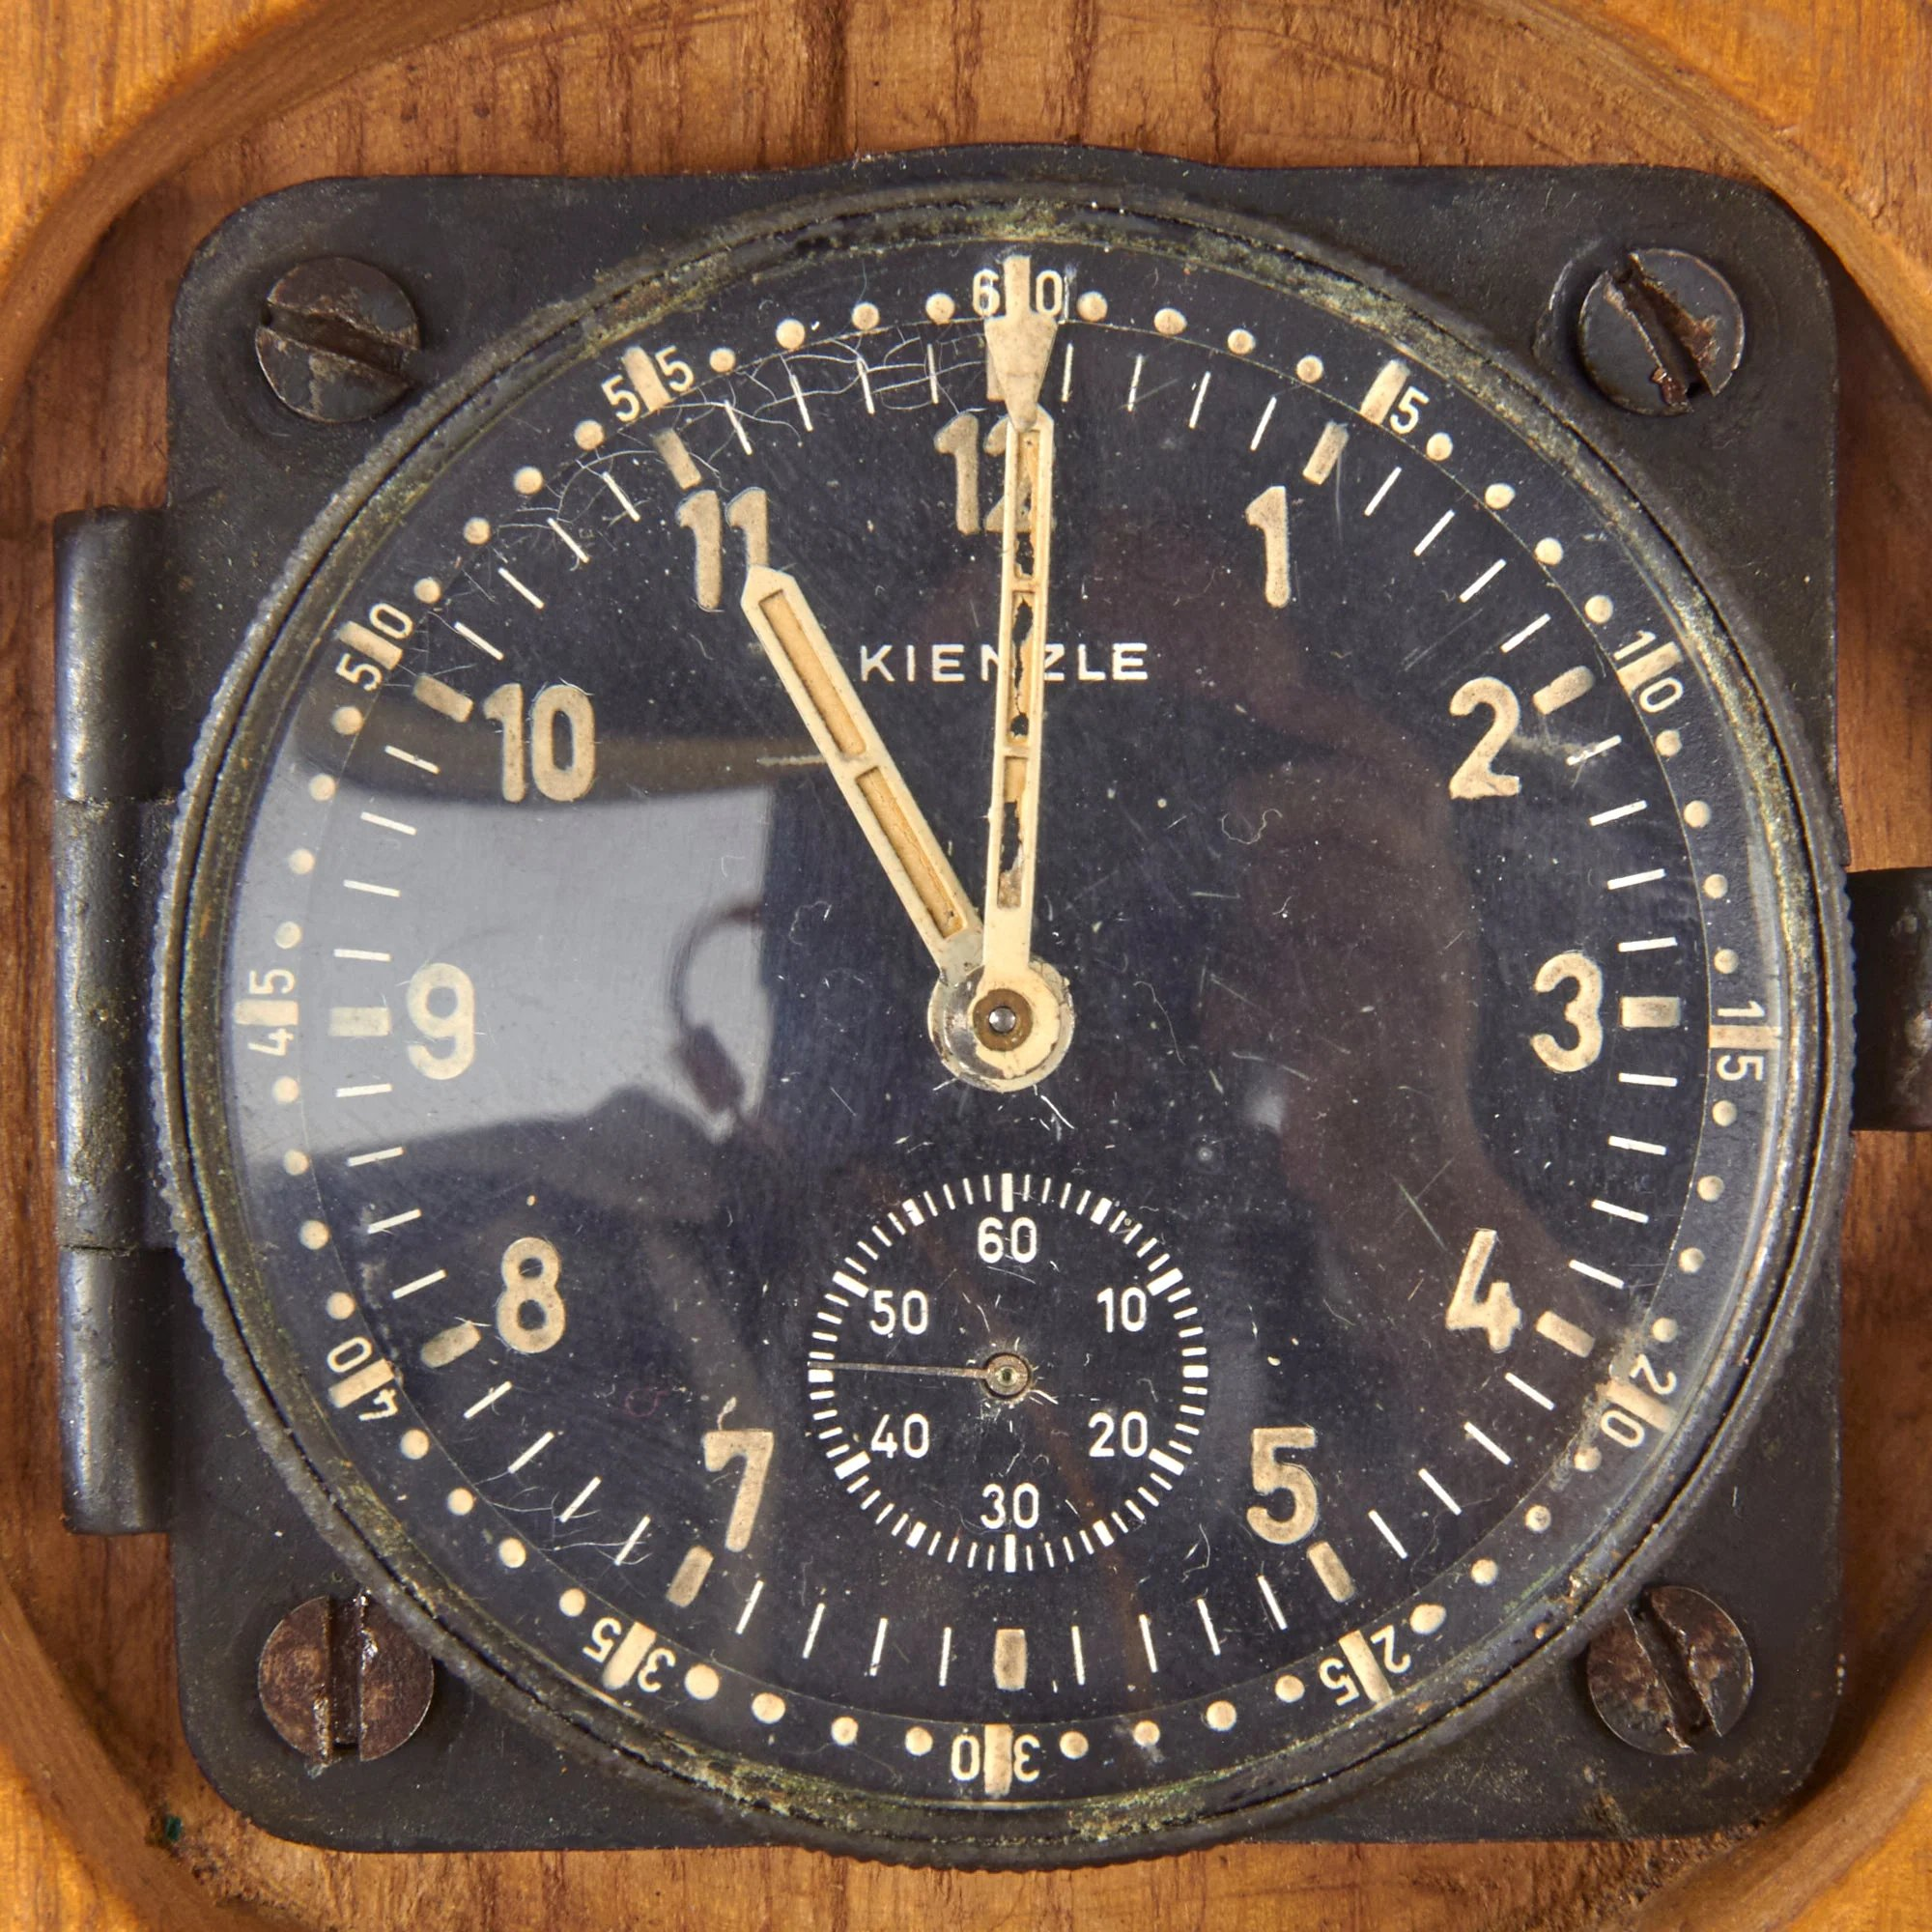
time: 11:00
